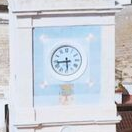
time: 5:44
